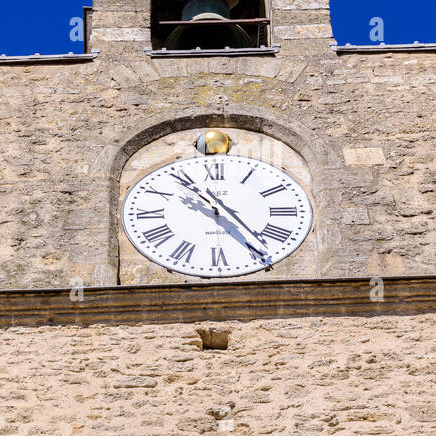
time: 10:24
